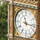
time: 11:16
